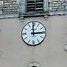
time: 2:59
